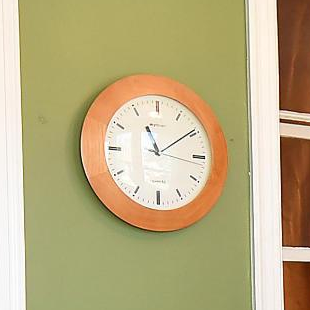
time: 11:09
